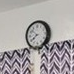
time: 7:51
